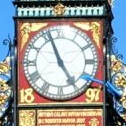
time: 4:56
